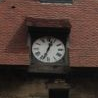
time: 12:33
